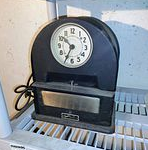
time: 10:34
